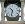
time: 10:32
